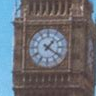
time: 1:20
